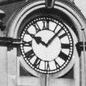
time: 10:07
